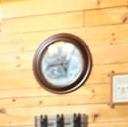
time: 4:42
